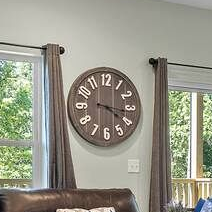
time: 4:16
